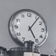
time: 5:06
